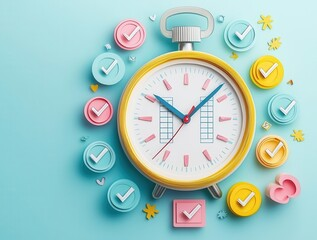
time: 10:07
